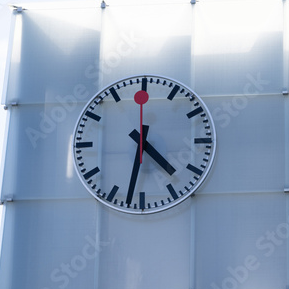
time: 4:32
